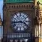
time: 3:43
